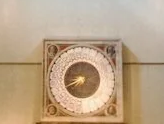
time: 8:40
